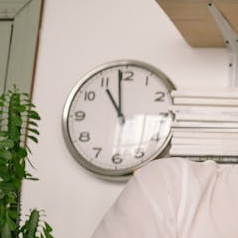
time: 10:58
